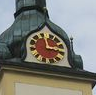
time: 2:58
